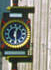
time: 12:28
